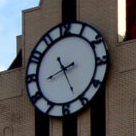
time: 8:25
